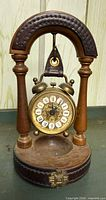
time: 12:00
